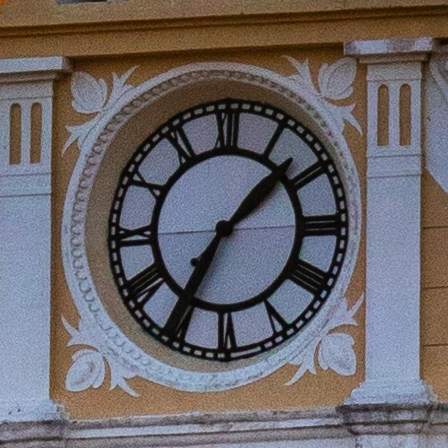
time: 1:35
